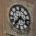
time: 7:17
